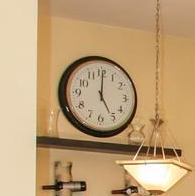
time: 5:00
